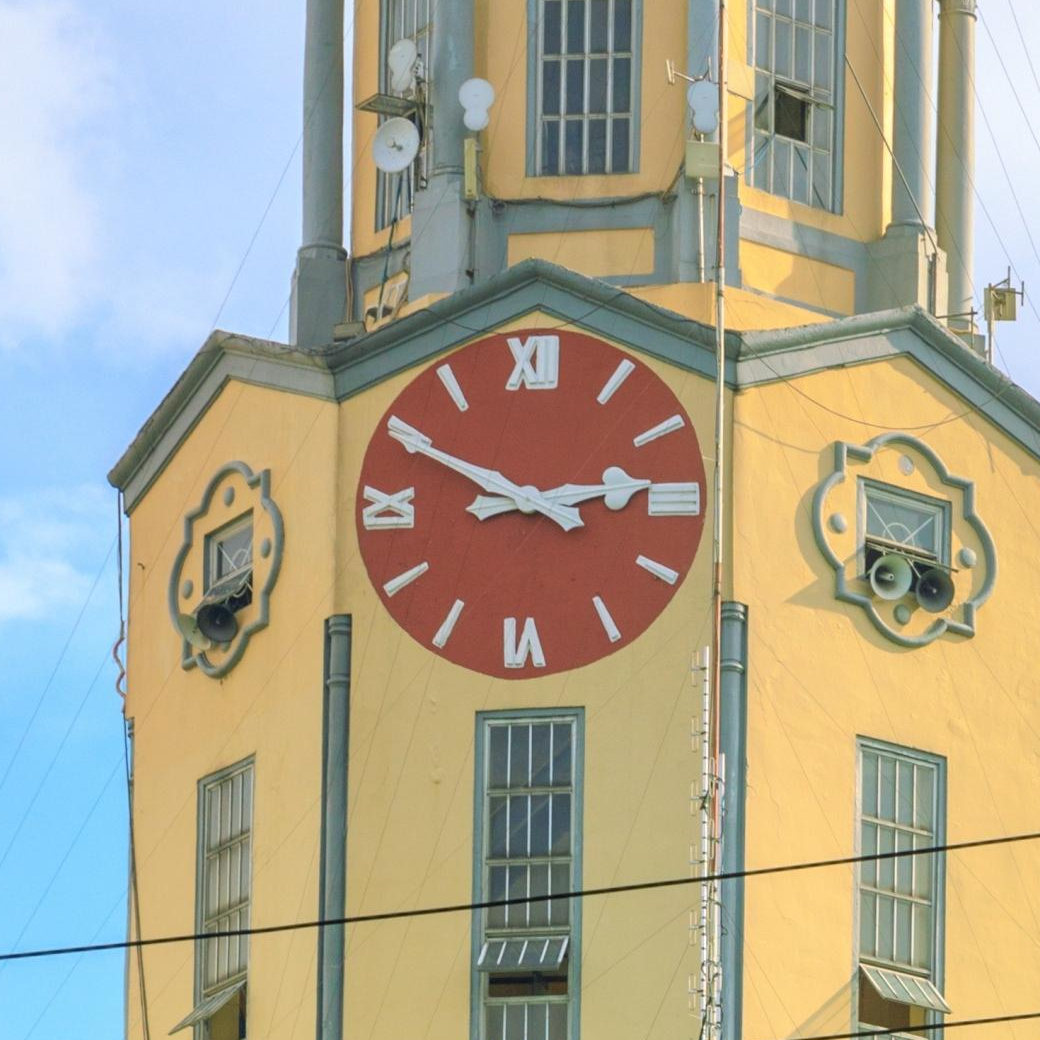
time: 2:50
